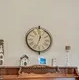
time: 12:33
